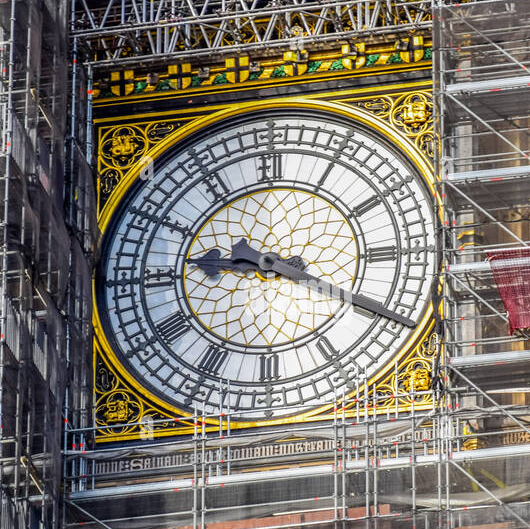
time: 9:19
